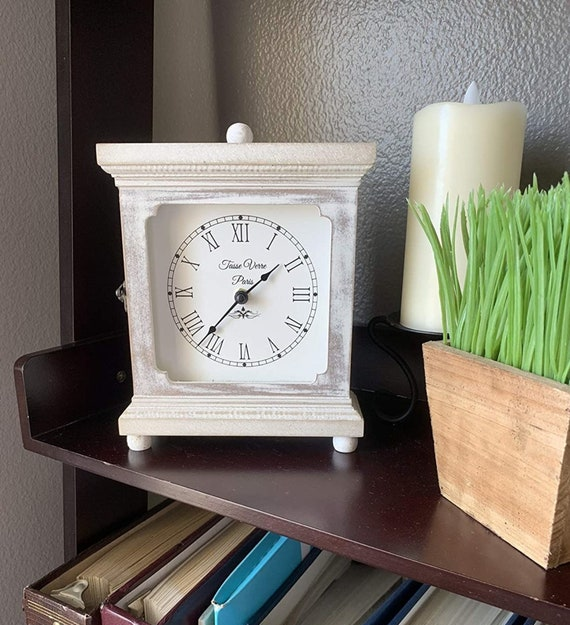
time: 1:36
